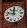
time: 11:47
